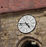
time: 4:45
